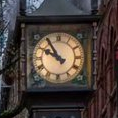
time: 9:54
